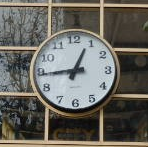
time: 12:44
